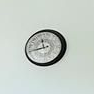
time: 11:41
